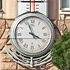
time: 3:56
